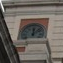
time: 12:07
